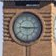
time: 9:14
